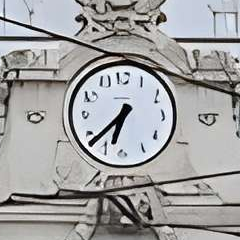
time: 6:38
